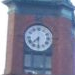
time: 7:30
